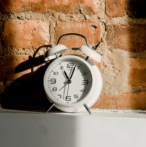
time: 11:03
